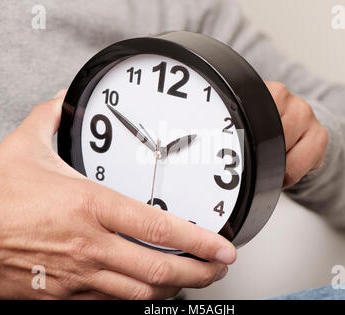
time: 1:49
